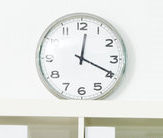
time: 12:19
